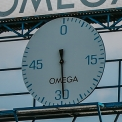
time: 11:29
